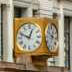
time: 12:48
